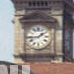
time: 1:43
